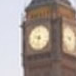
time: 9:32
